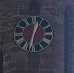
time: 12:32
